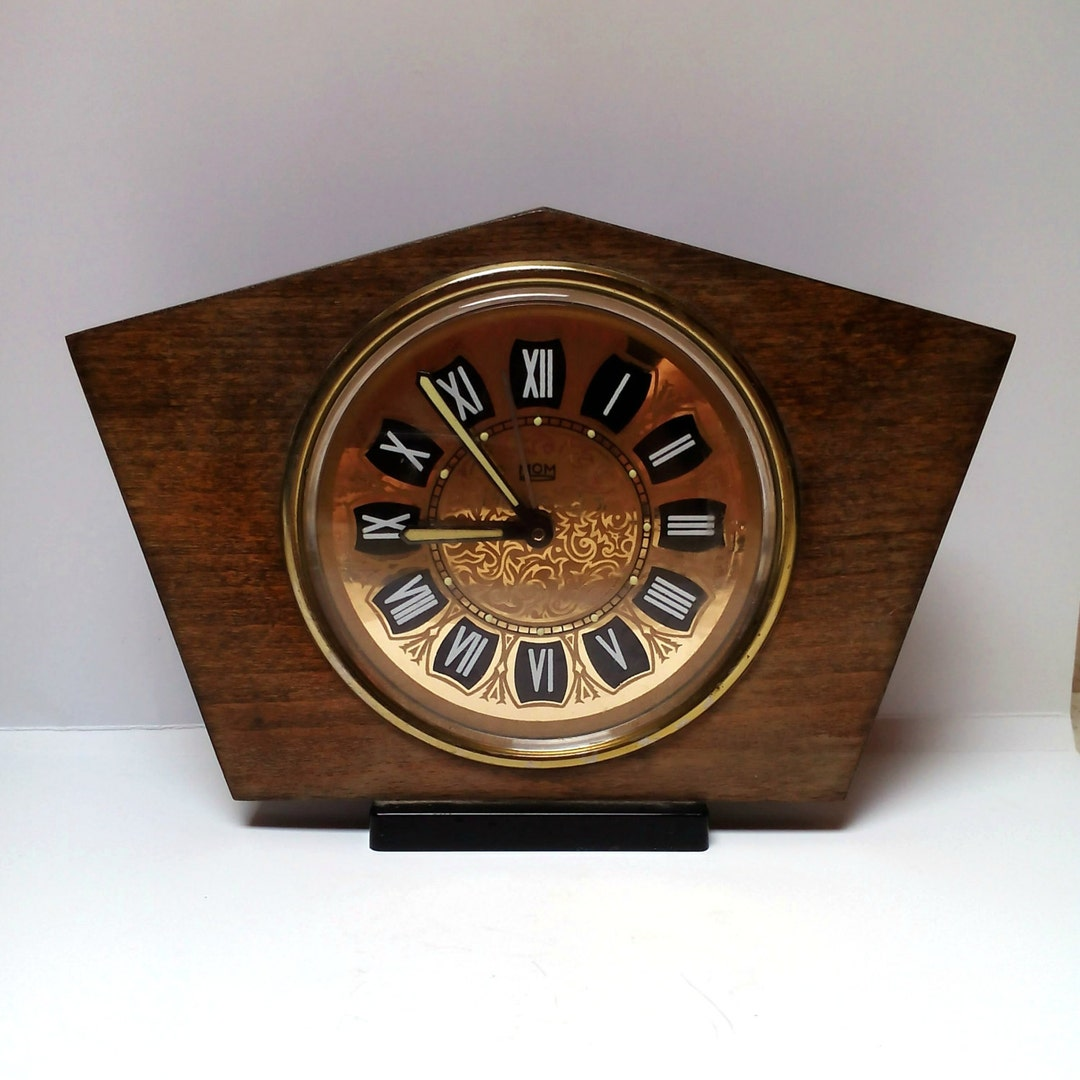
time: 10:45
